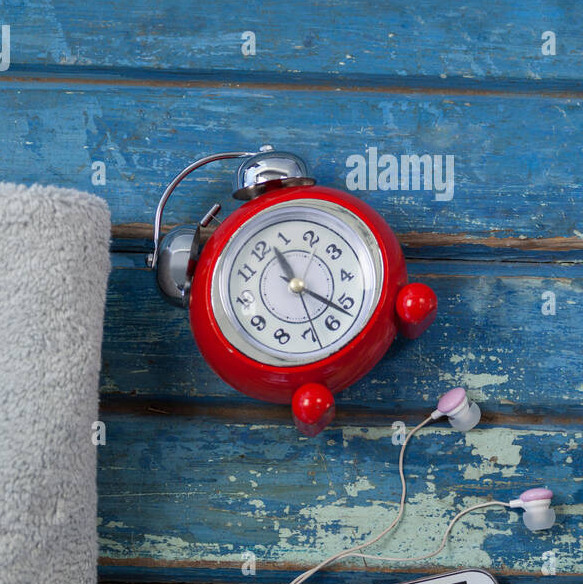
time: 11:21
